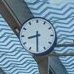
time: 8:29
